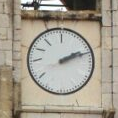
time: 2:12
